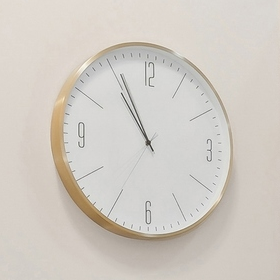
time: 10:55
